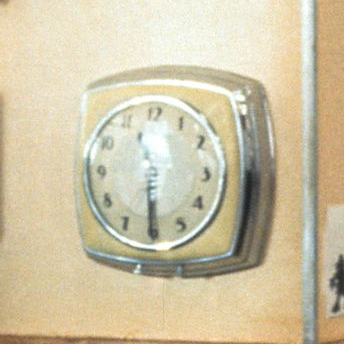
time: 11:30
